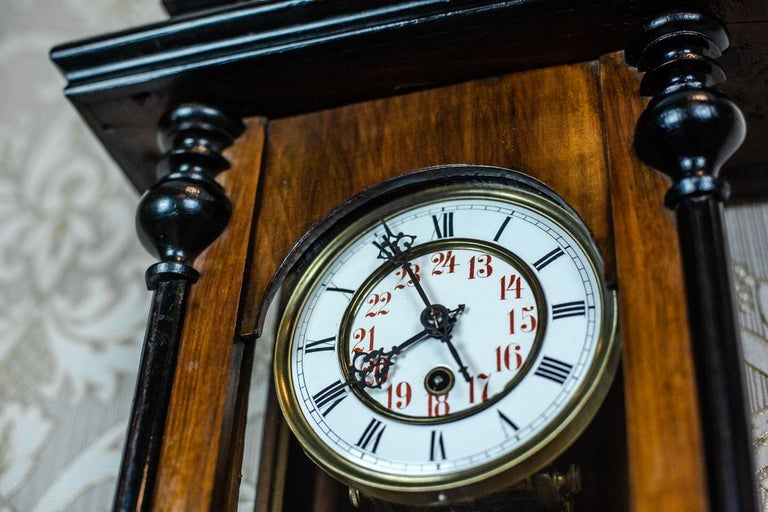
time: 7:55
